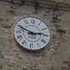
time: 2:48
